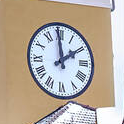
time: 1:59
